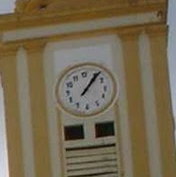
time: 1:06
